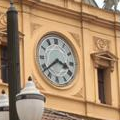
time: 3:38
